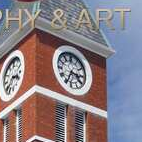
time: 3:34
